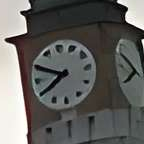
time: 7:49
